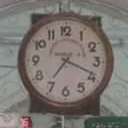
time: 7:18
